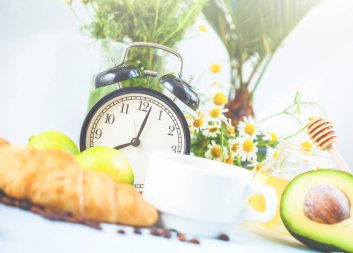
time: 8:02
